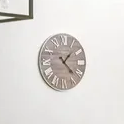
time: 1:22
